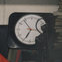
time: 6:53
